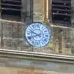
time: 9:41
